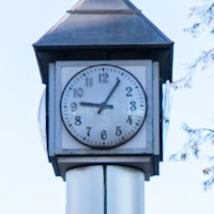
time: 9:05
